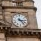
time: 3:23
